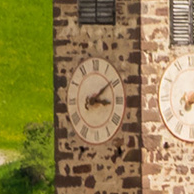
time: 3:09
